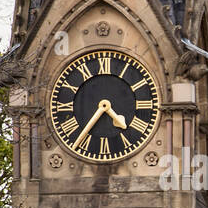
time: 4:36
